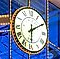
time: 6:10
